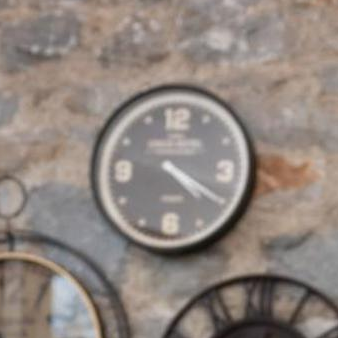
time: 4:20
